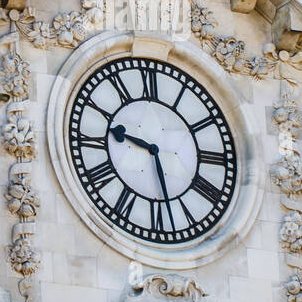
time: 9:27
